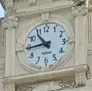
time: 10:44
